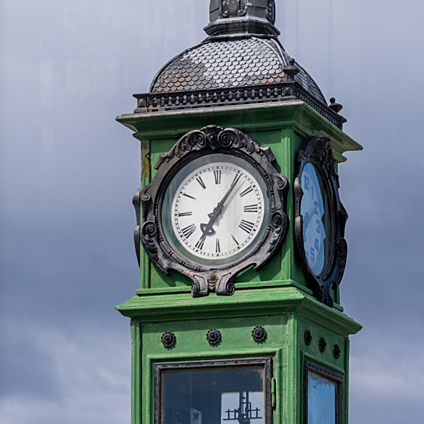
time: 7:06
